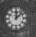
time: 12:07
